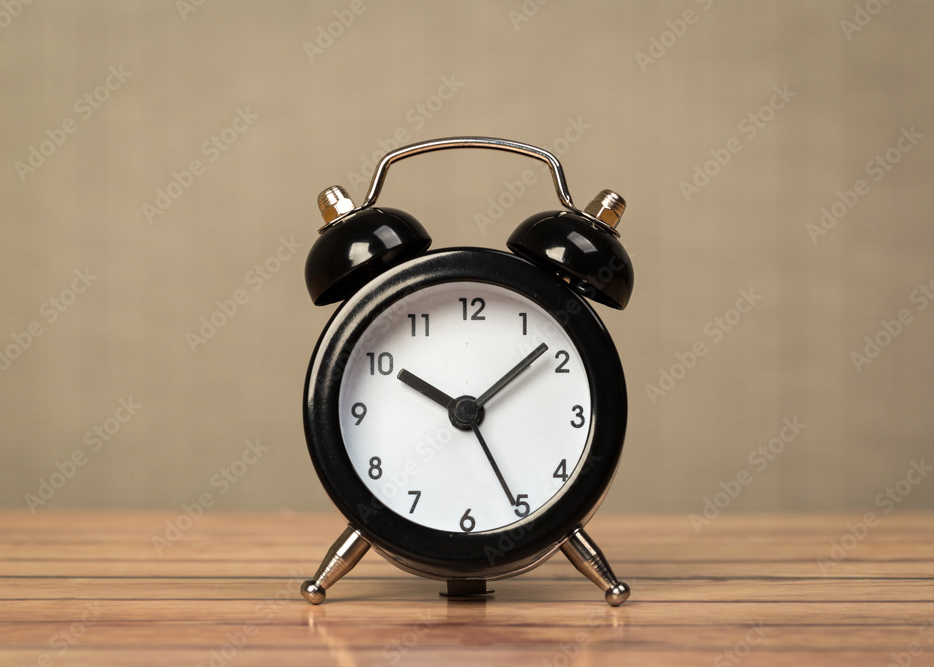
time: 10:08
